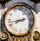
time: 2:42
